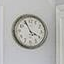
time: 3:55
